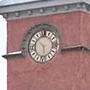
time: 5:51
